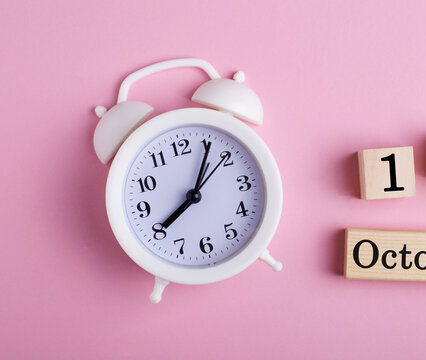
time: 8:06
